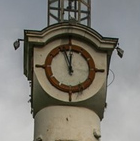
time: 11:56
